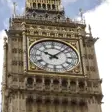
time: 10:07
